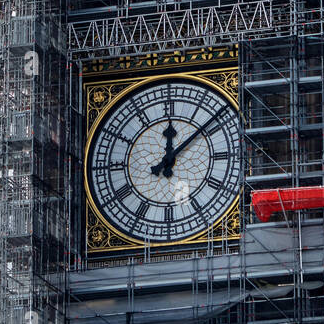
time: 12:08
